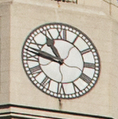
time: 10:47
